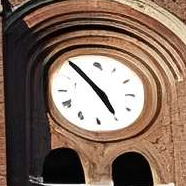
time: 4:53
